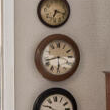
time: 8:29
